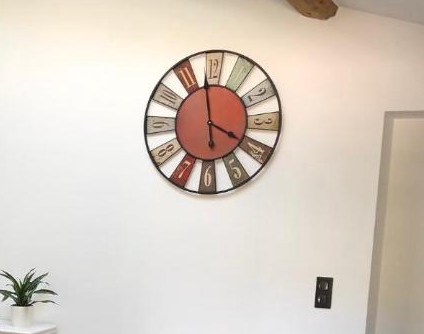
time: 3:58
